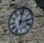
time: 3:02
